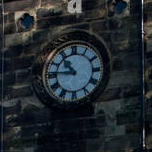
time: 10:45
